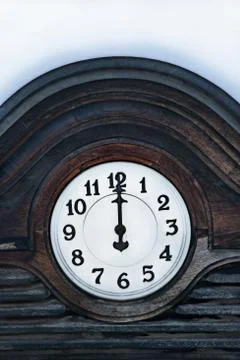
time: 12:00
